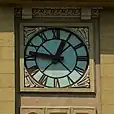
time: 12:46
